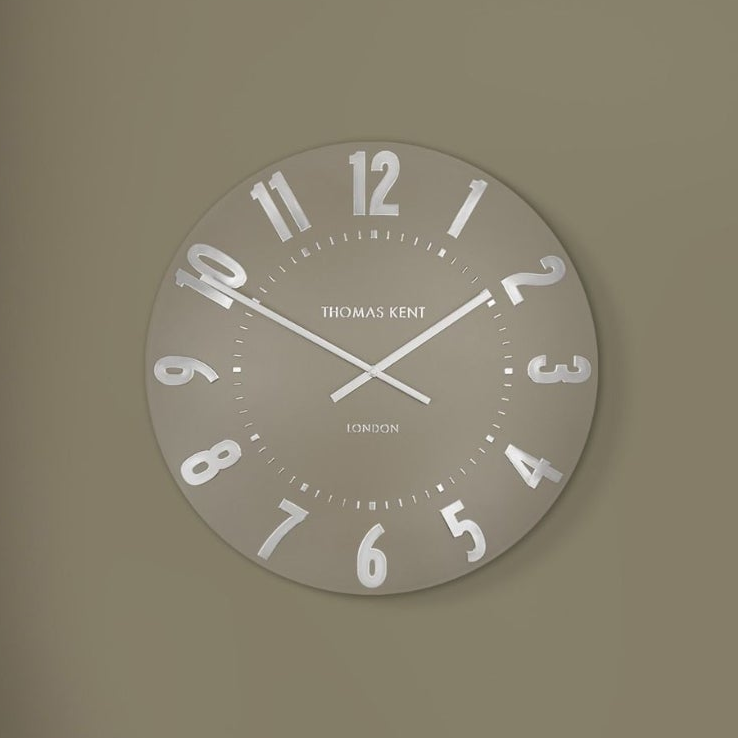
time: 1:50
